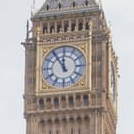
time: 11:54
